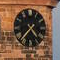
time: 4:37
